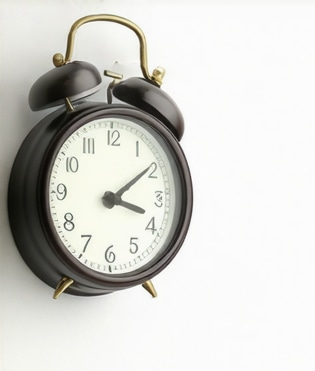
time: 3:09
